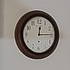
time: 12:14
